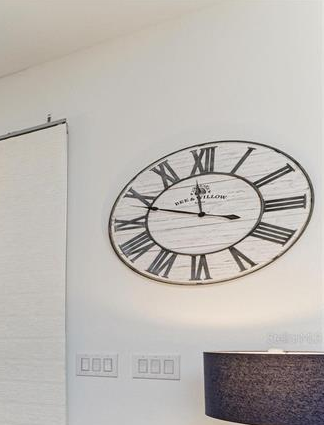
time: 11:48
